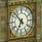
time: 6:52
